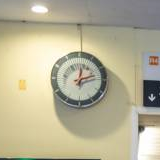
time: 12:12
